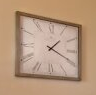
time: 1:19
